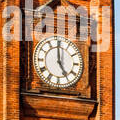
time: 4:59
